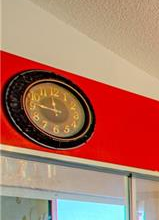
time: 11:46
